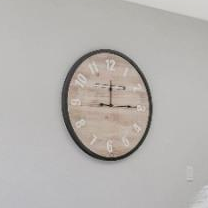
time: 12:14
